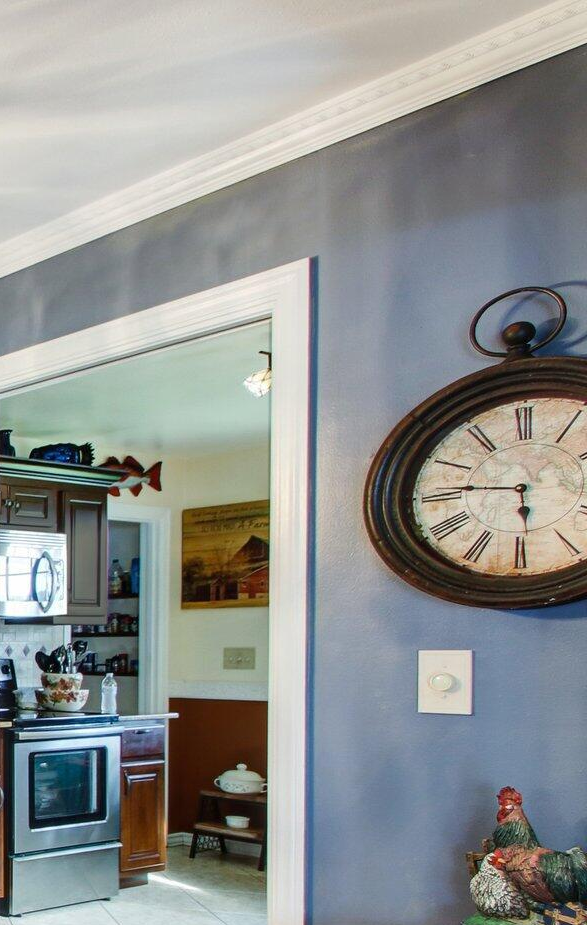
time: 5:46
